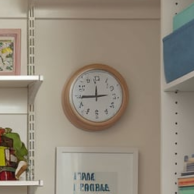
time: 11:44
